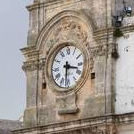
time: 3:31
